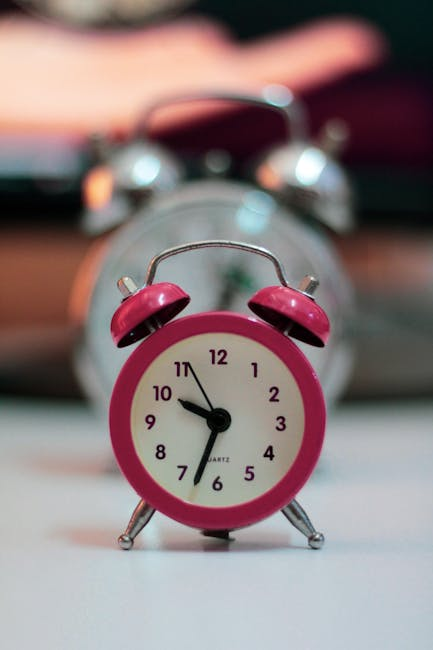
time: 9:33
